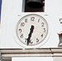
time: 6:32
